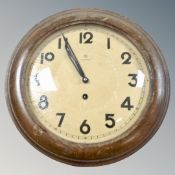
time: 10:55
